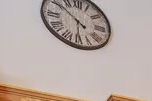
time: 5:51
